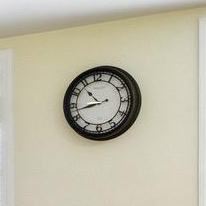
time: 10:42
